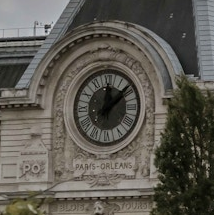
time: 12:08
